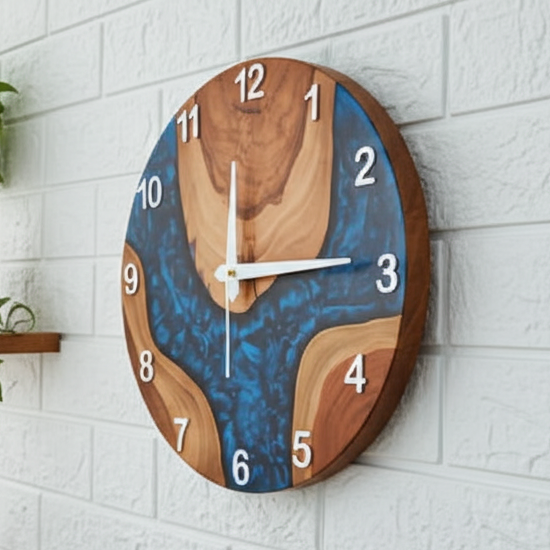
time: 12:14
